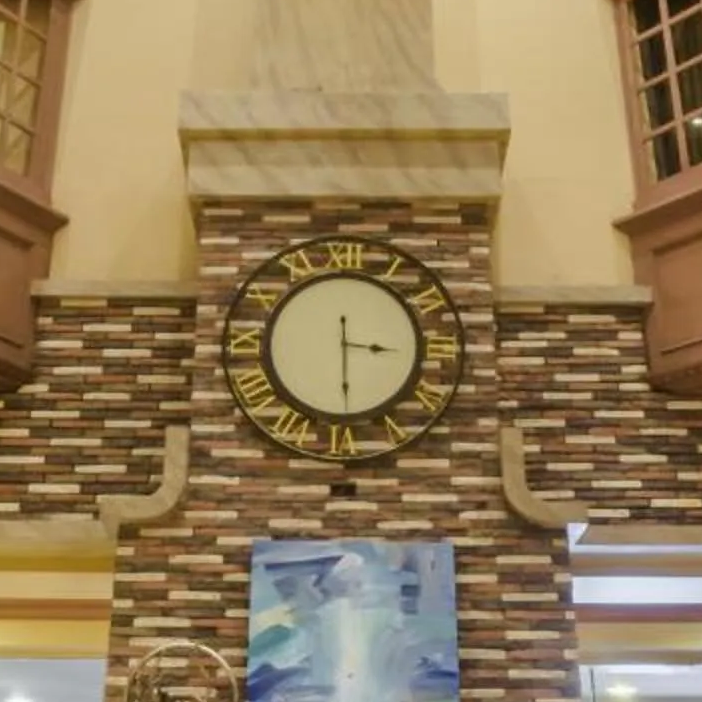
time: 3:29
